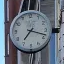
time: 7:17
